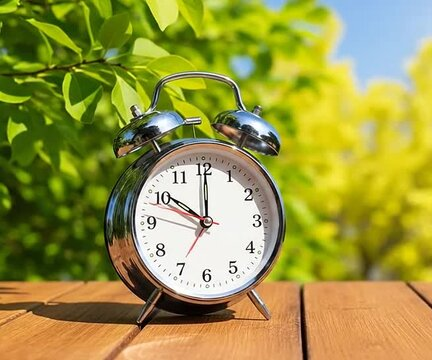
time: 10:00
